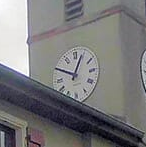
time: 12:49
